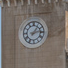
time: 1:13
